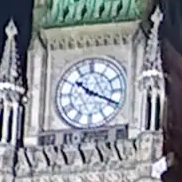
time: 10:18
